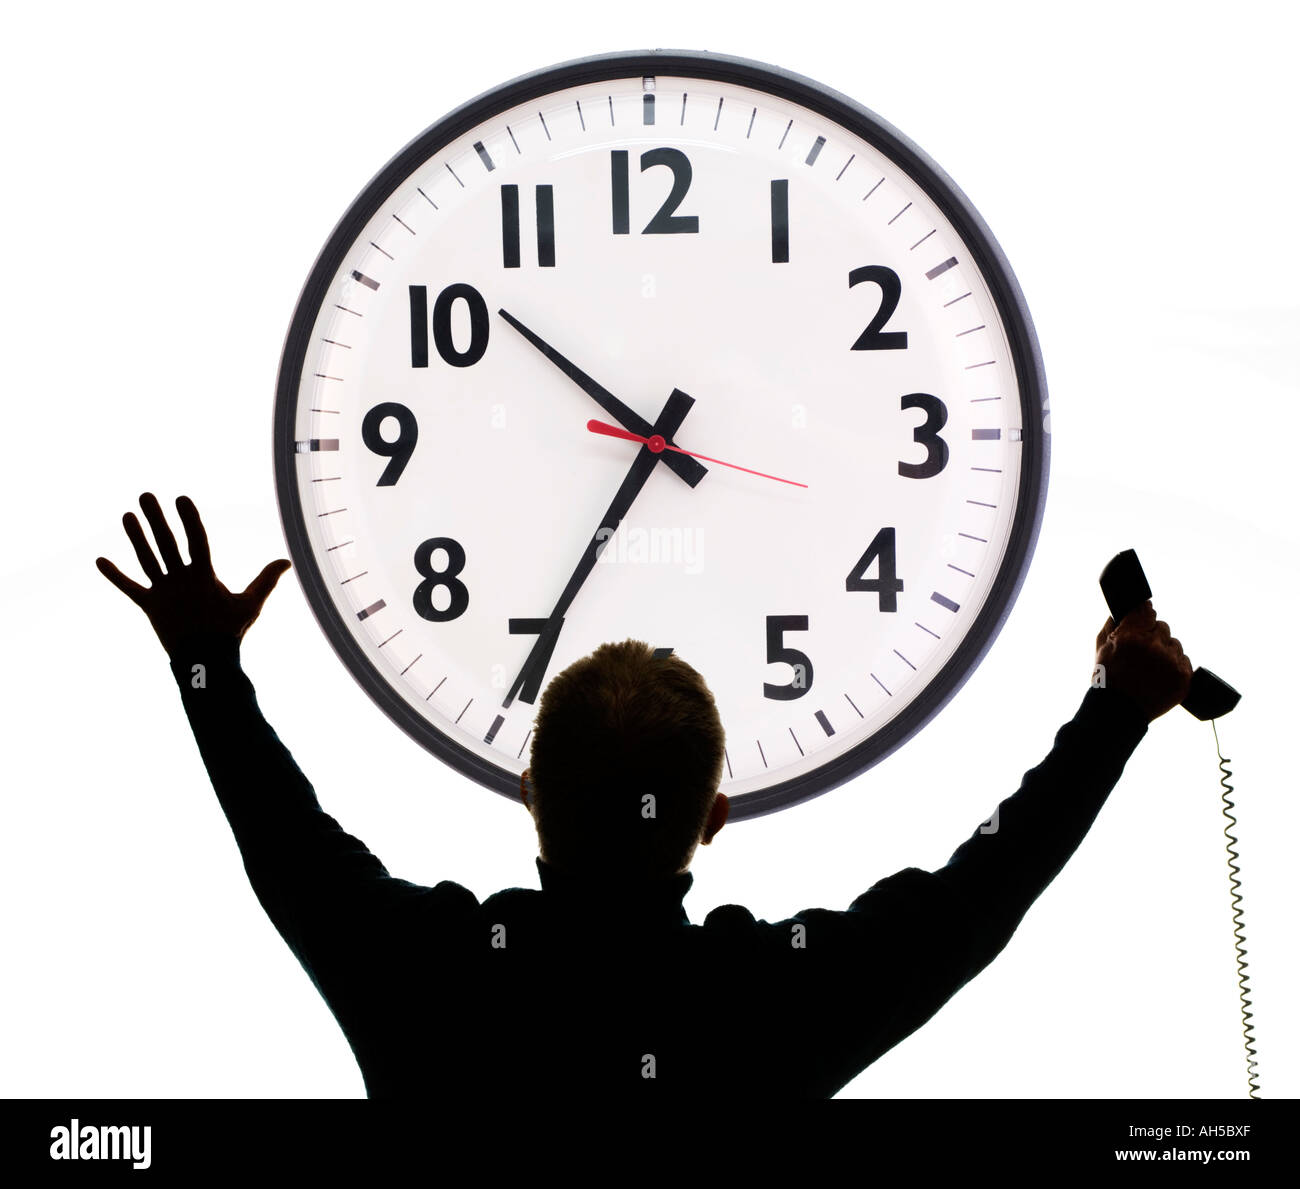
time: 10:35
